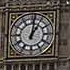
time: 1:01
